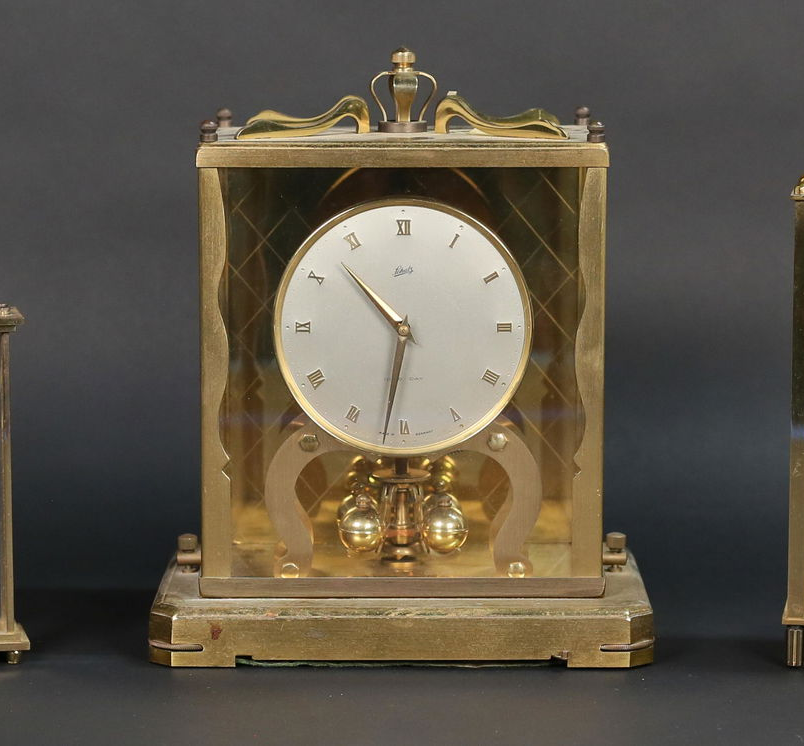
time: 10:31
